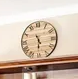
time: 5:30
